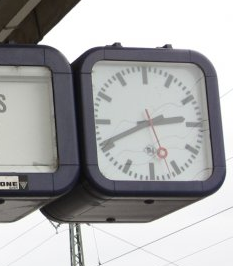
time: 2:40
